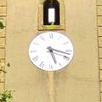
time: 5:17
